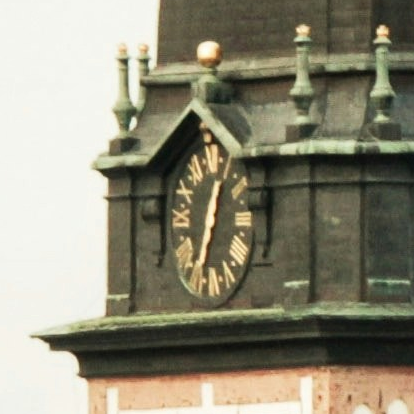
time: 12:32
